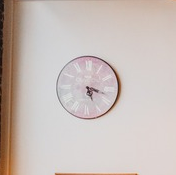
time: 5:17
